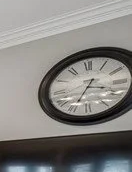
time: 3:34
